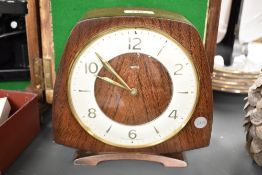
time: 9:52
